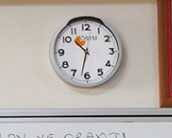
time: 10:32
